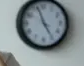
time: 4:56
